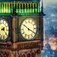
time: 3:51
